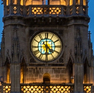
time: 4:30
